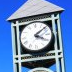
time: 4:08
